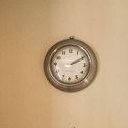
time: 2:09
